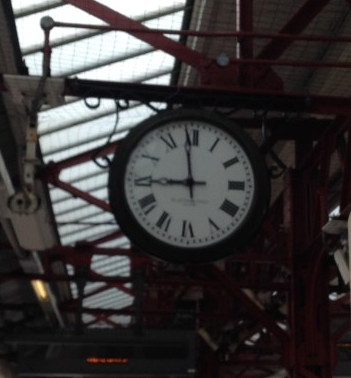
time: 8:58
